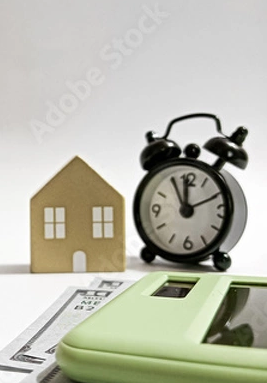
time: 11:55
